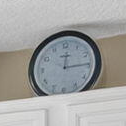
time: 12:14
